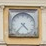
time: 4:36
